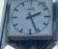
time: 2:26
